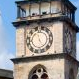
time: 4:57
